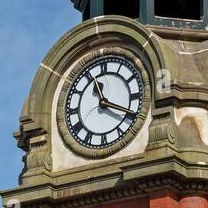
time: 11:19
